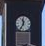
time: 11:34
